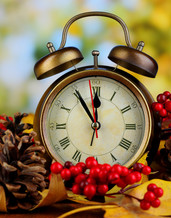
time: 11:54
